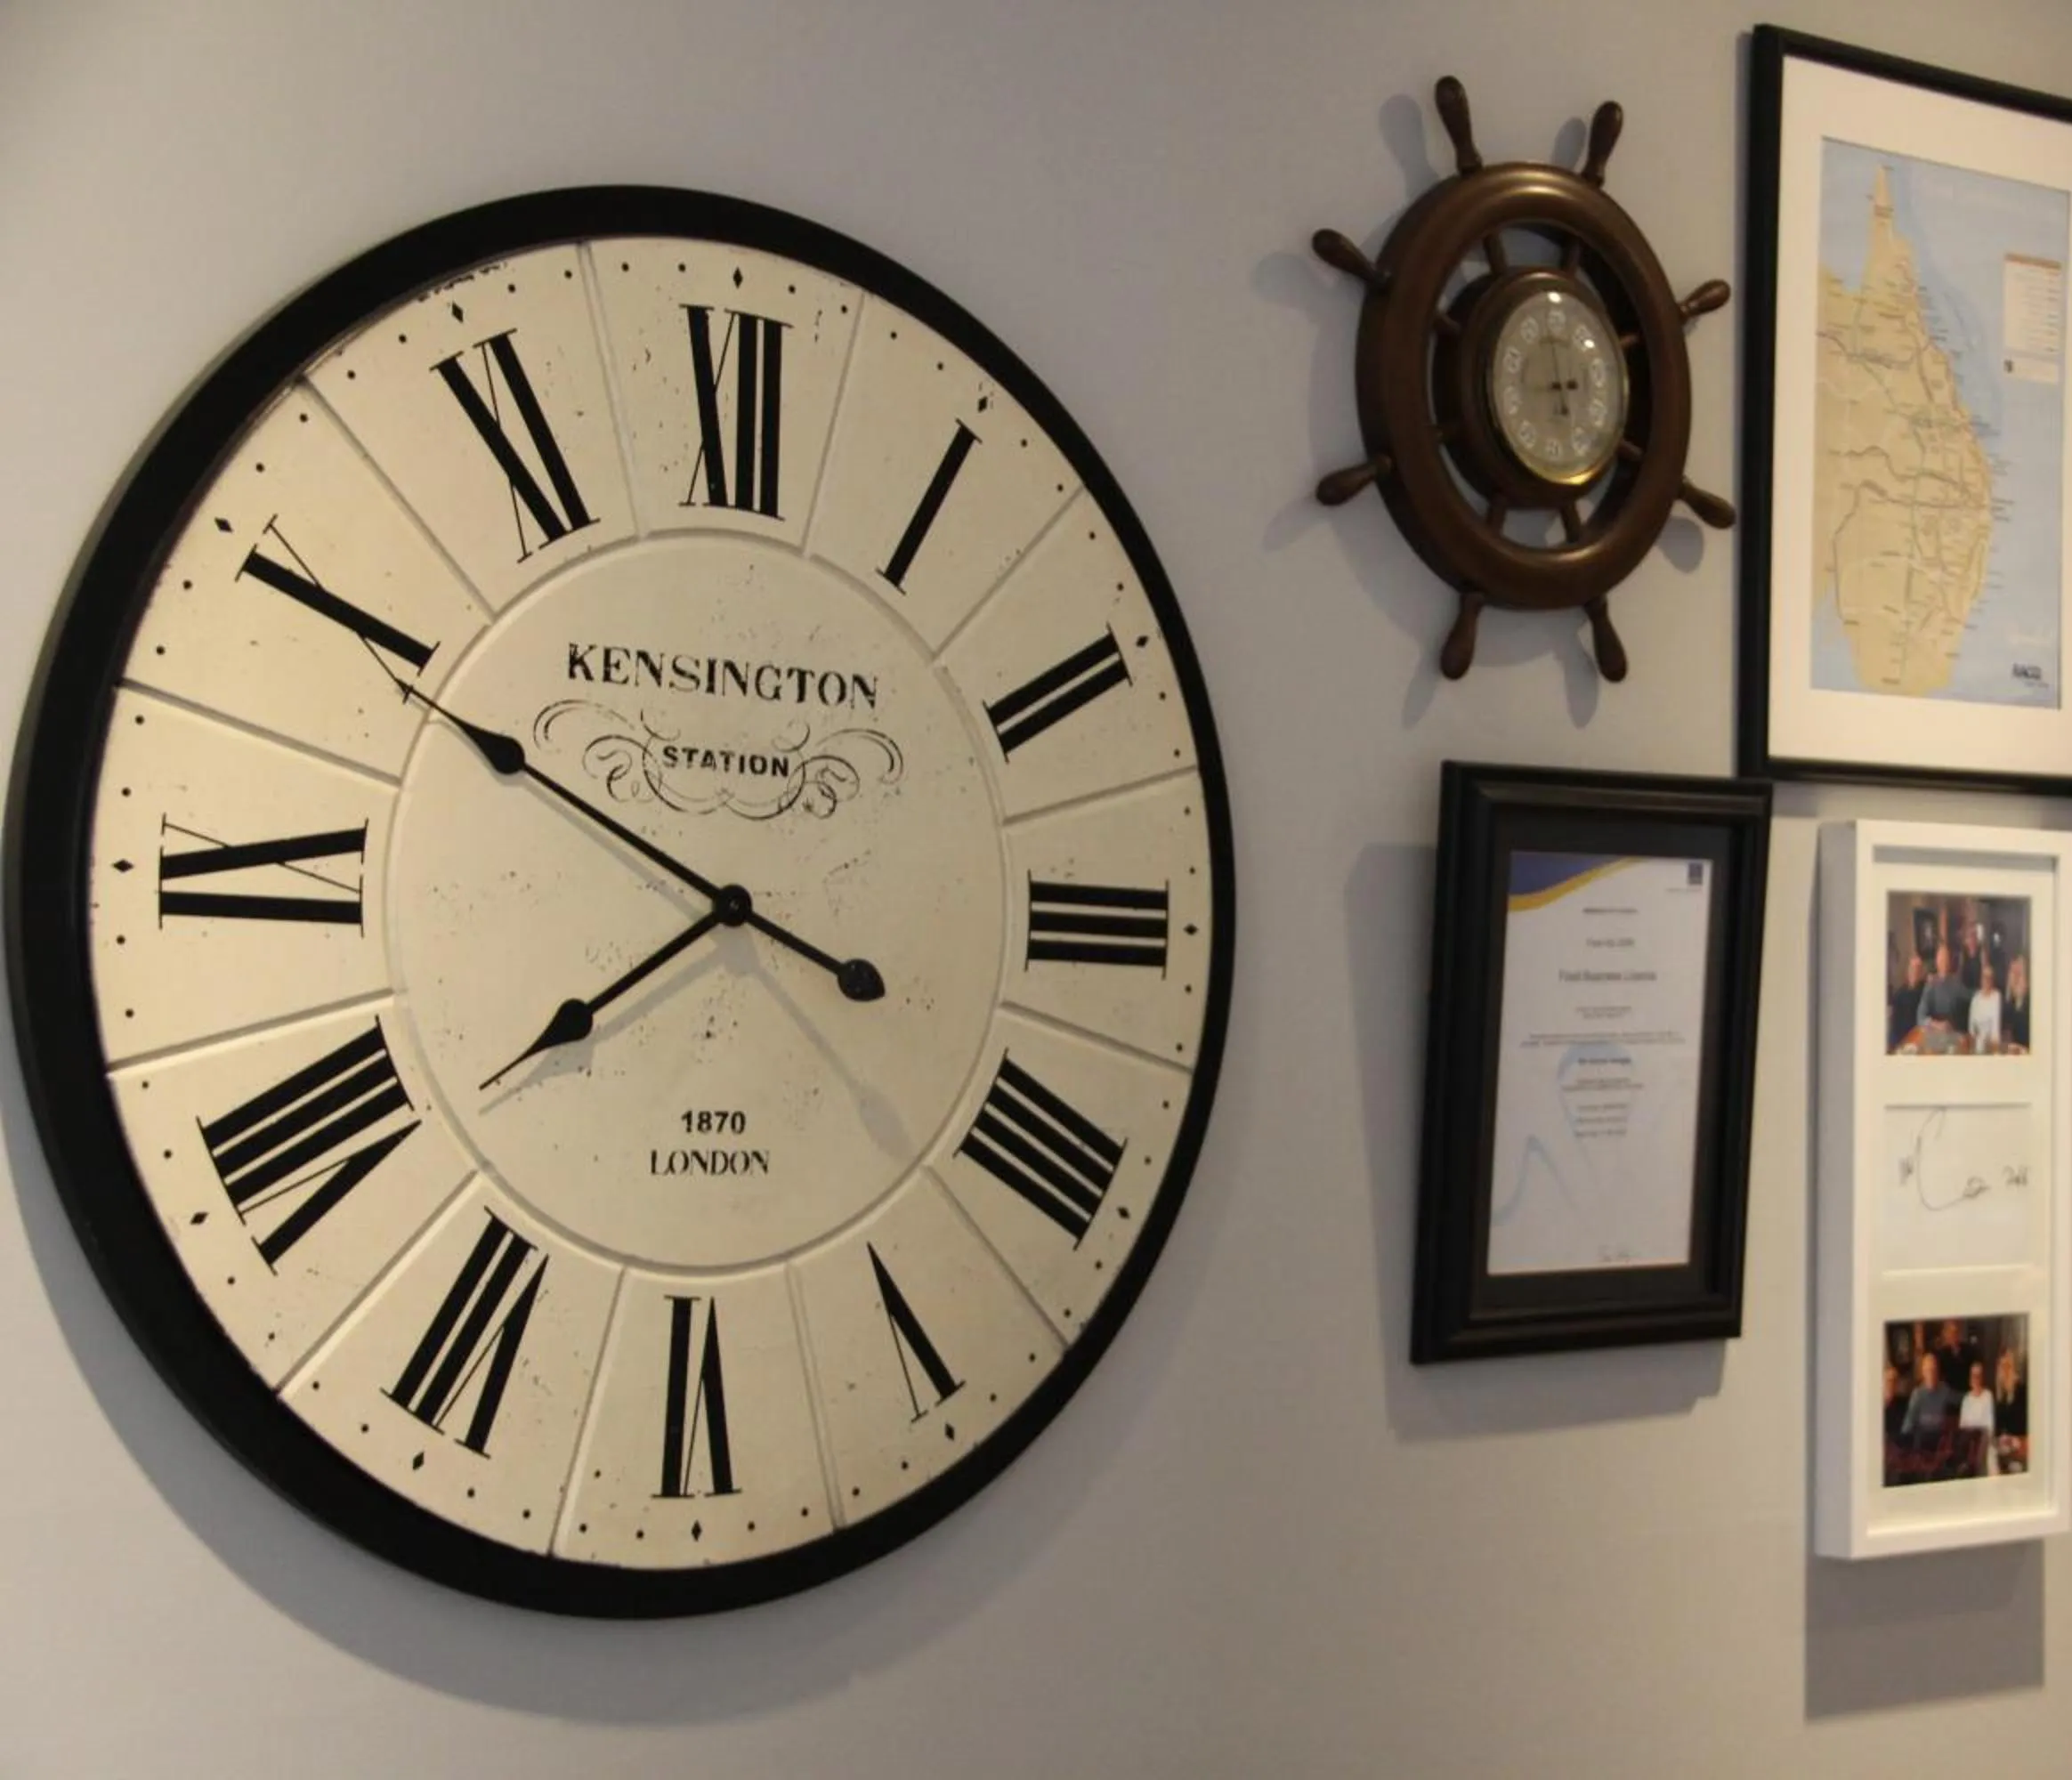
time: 7:49
